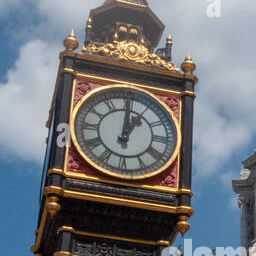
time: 1:00
